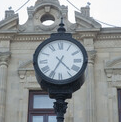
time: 4:34
